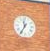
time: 11:35
